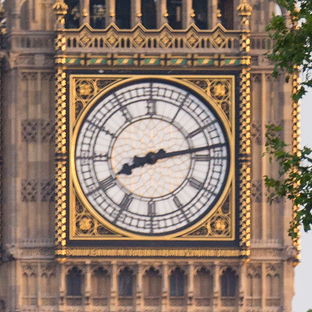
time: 8:13
